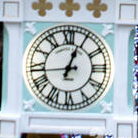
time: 12:44
